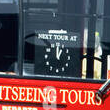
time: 1:00
